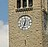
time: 12:33
